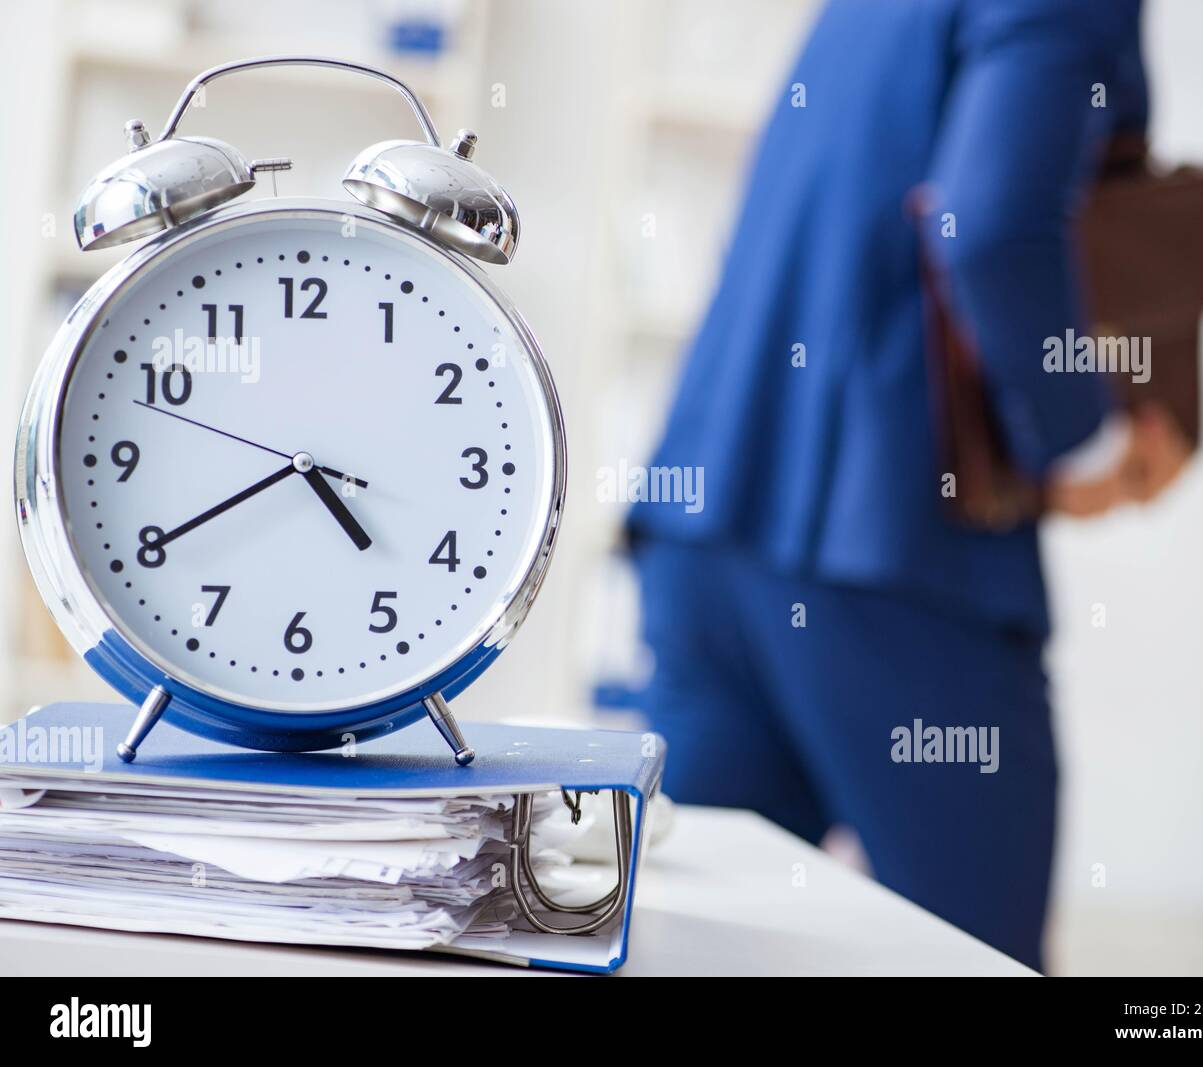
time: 4:40
